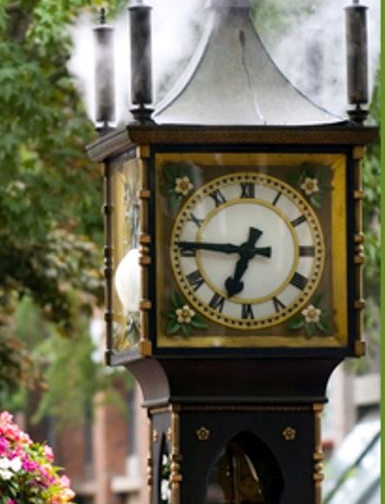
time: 6:45
